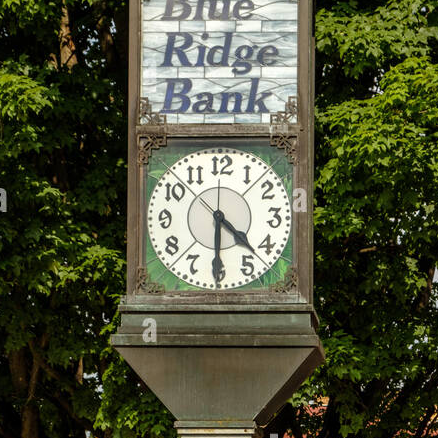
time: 4:30
